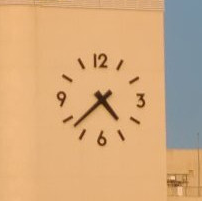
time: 4:37
